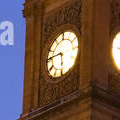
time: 5:45
